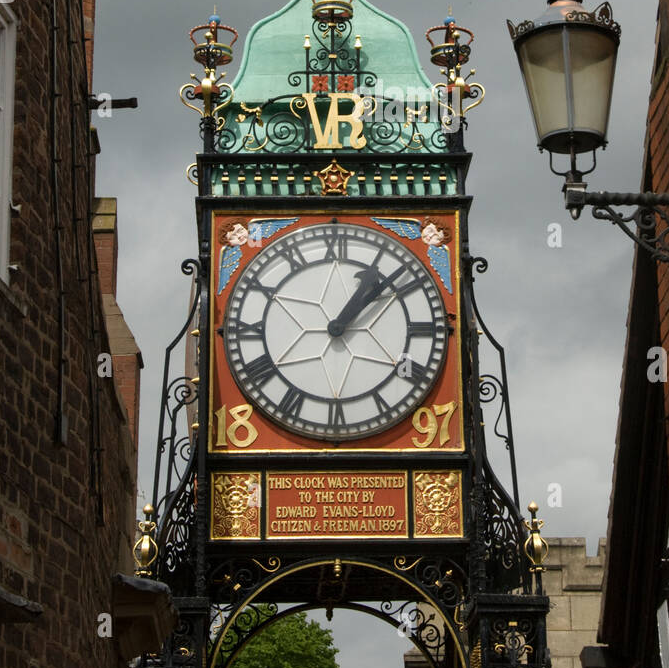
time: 1:07
